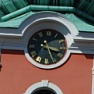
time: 3:26
